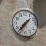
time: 1:36
